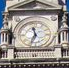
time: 11:33
